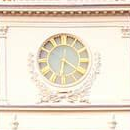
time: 6:20
